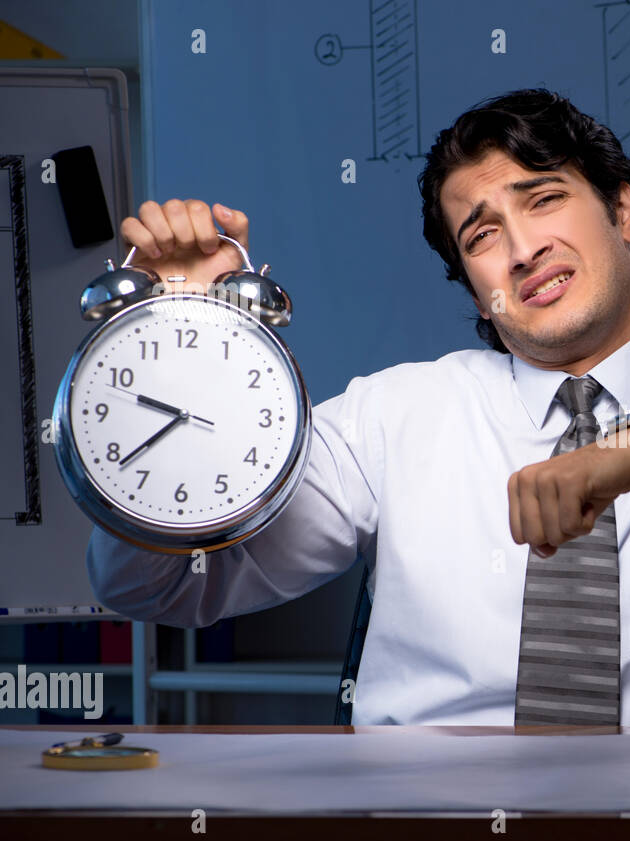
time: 9:38
